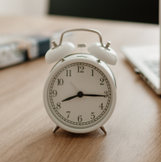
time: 8:15
